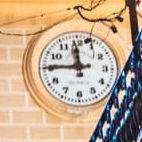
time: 11:45
